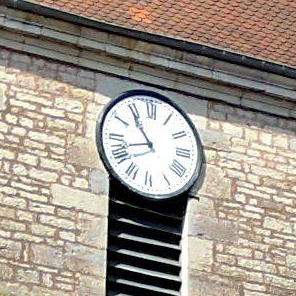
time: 10:42
